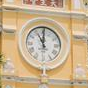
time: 11:00
